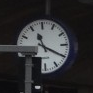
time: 11:19
